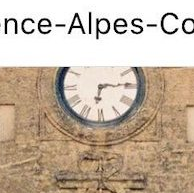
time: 6:14
